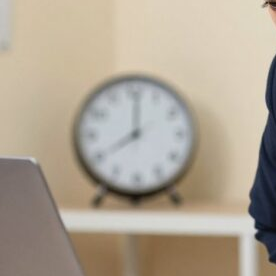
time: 8:00
